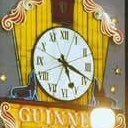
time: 5:18
